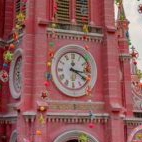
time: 3:20
